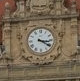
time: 3:20
